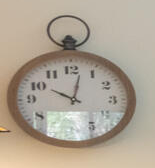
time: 10:02
